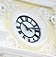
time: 10:12
